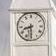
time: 8:29
